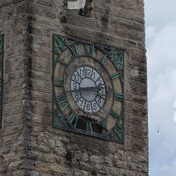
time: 2:42
